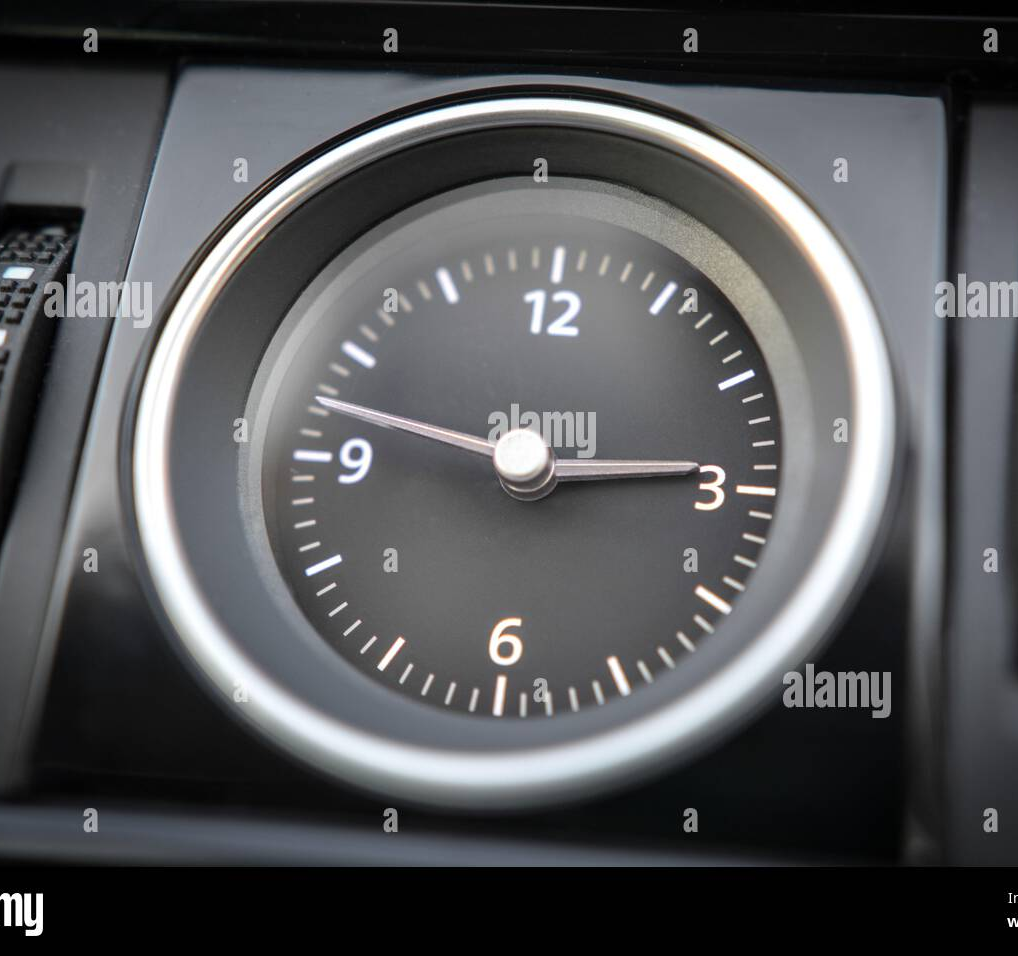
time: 2:47
